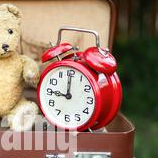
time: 9:00
